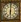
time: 6:00
